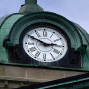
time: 2:49
